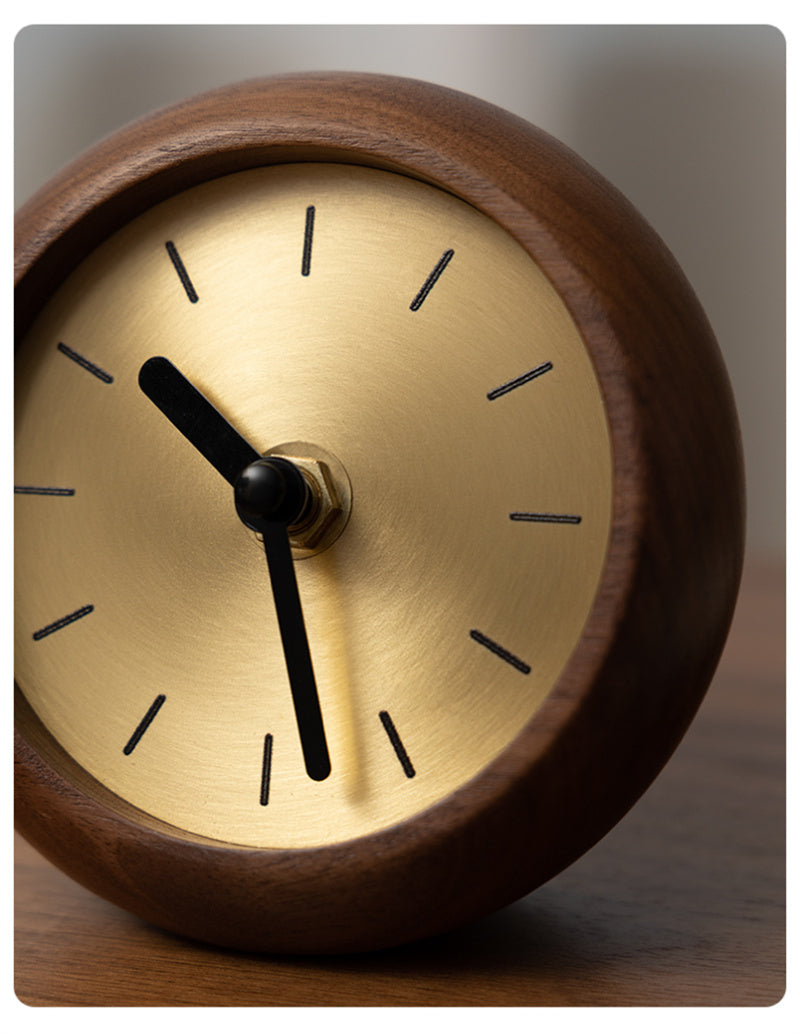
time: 10:27
